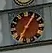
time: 7:06
